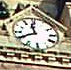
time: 11:40
